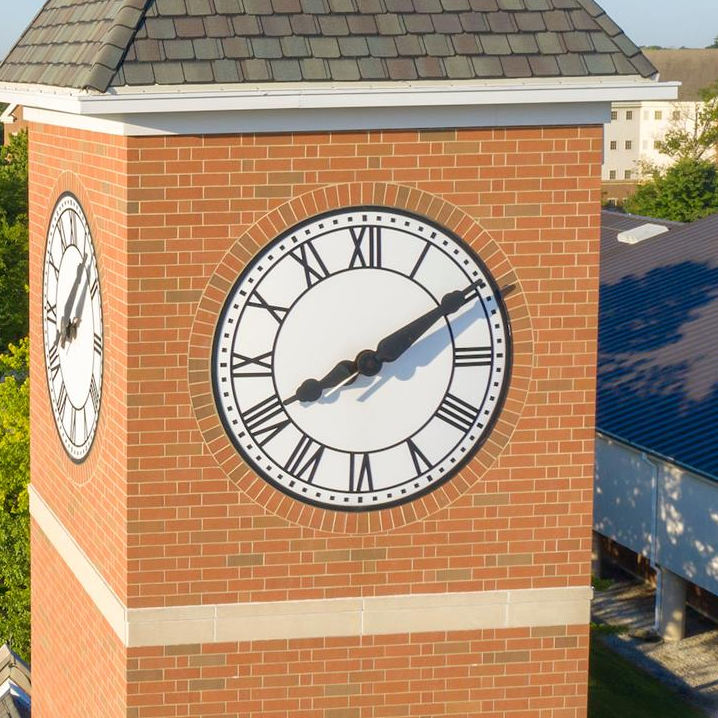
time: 8:09
